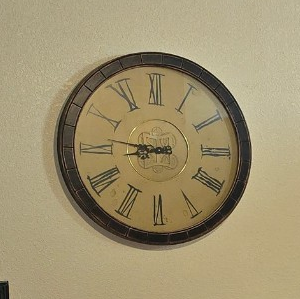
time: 8:46
